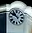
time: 10:50
